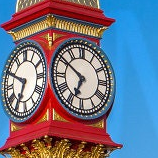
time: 6:50
